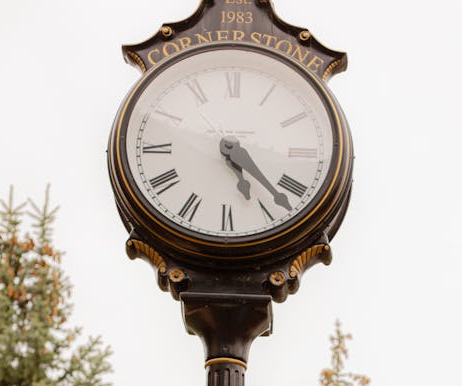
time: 5:22
